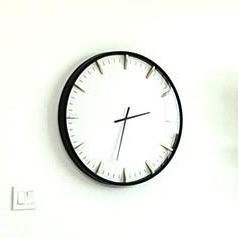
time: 2:32
